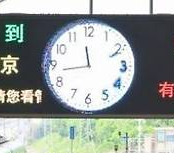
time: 11:43
